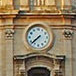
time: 7:37
